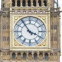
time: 3:54
